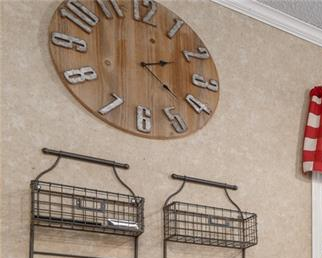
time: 2:21
